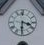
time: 3:30
